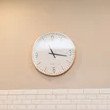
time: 11:16
